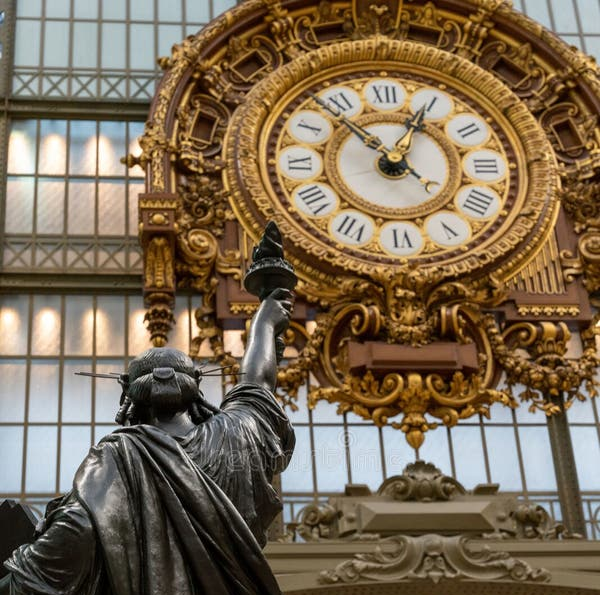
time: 12:52
